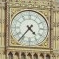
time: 4:36
